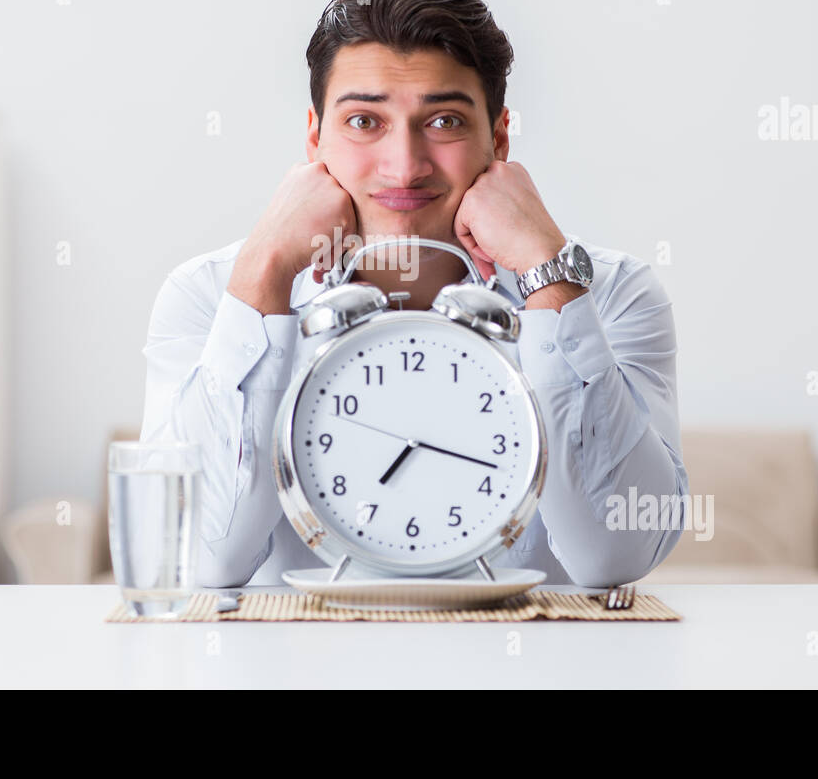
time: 7:17
